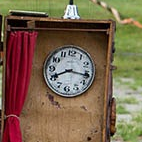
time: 8:15
